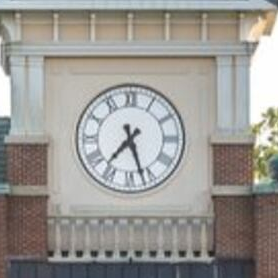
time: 7:27
